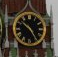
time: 10:24
